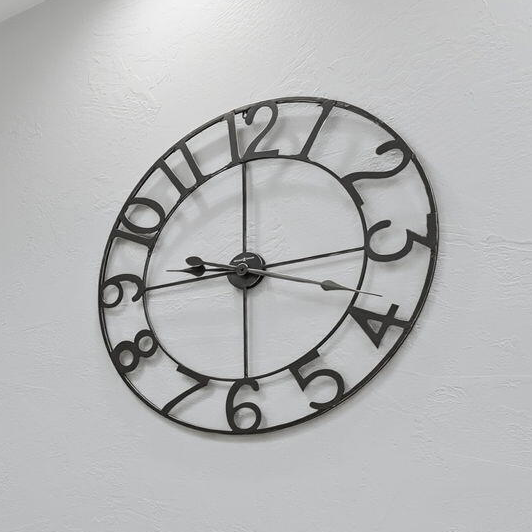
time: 9:00
